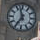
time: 11:35
